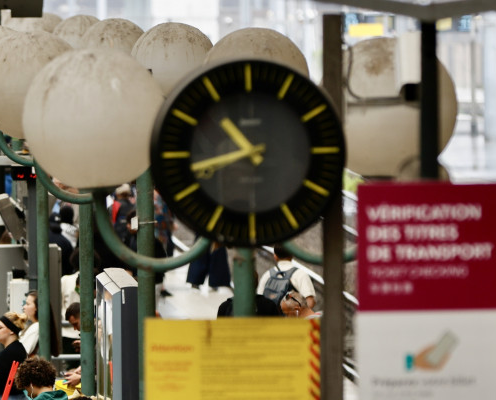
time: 10:42
